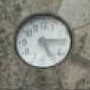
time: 5:14
